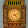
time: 4:12
